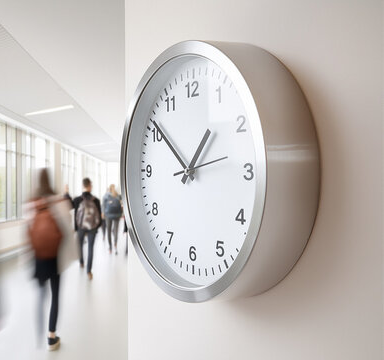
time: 12:51
